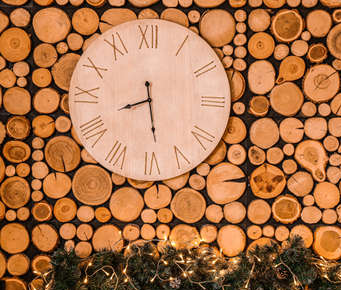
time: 8:28
